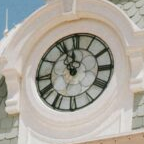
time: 11:55
